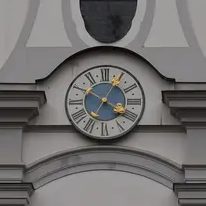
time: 4:05
